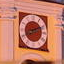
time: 8:11
